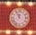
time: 11:55
